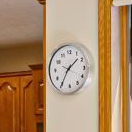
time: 1:35
